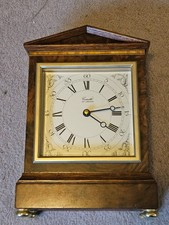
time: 4:12
